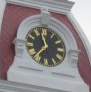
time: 11:36
